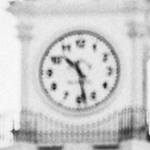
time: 10:28
